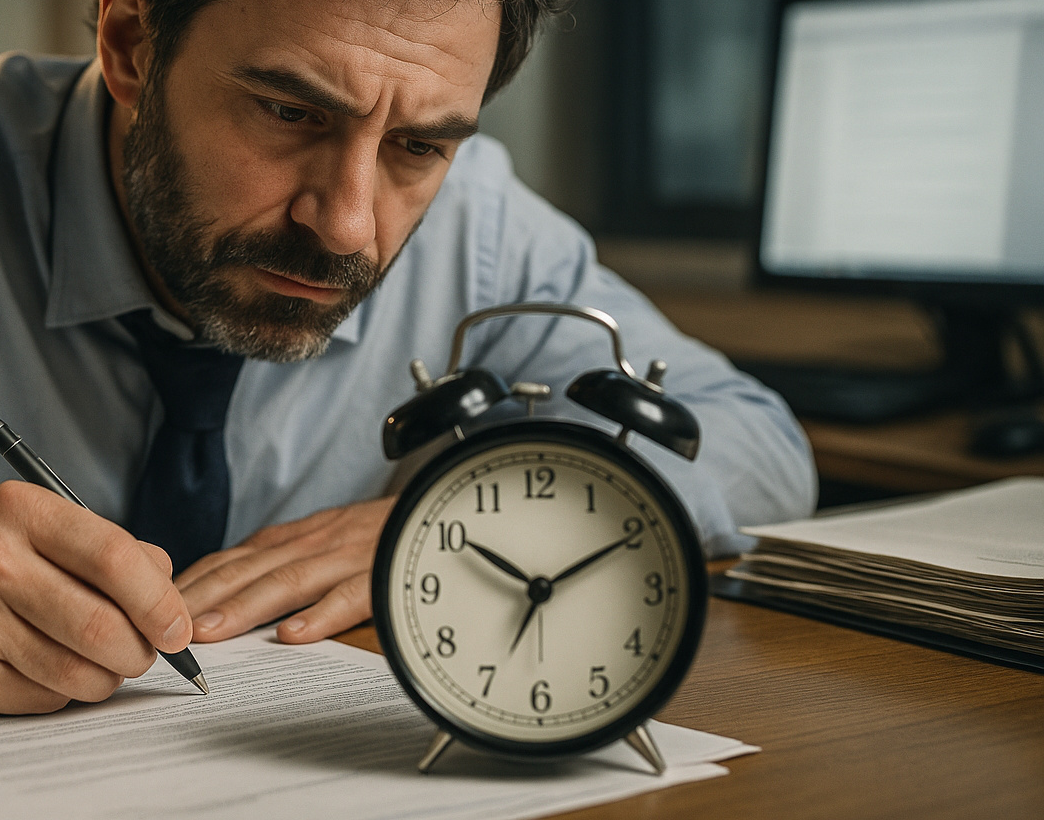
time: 10:10
